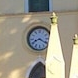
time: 8:20
